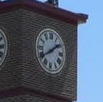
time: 1:39
